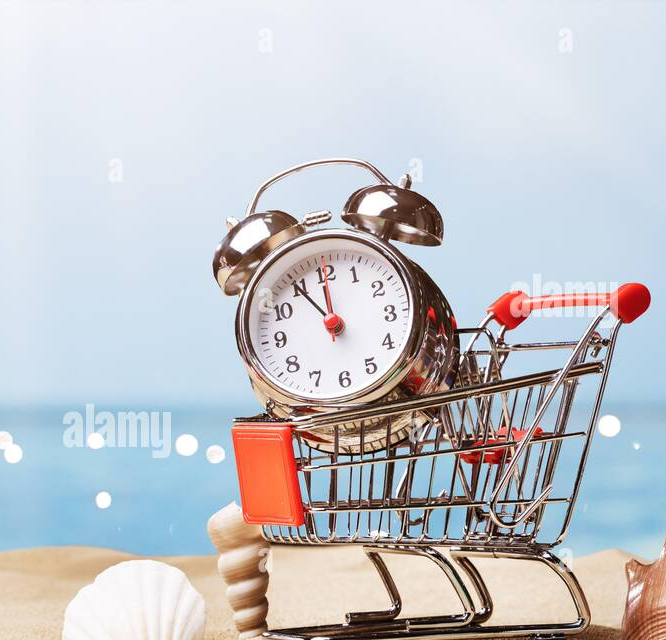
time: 11:54
